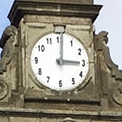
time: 3:00
